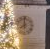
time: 7:59
